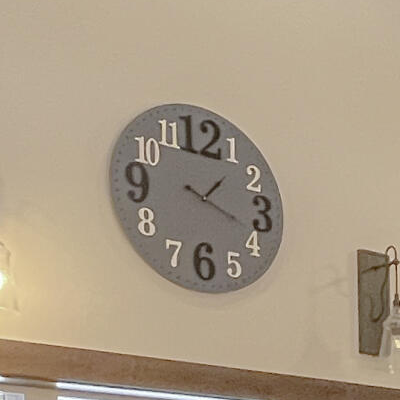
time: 1:18
